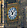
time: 11:07
